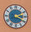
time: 2:19
